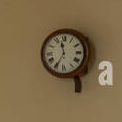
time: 11:34
